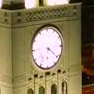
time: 4:21
